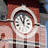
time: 11:02
